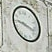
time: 9:17
